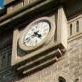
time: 4:42
